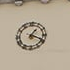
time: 1:18
